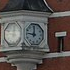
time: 11:46
